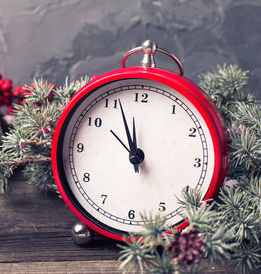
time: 10:56
